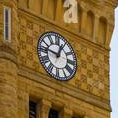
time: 12:46
